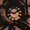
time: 1:46
